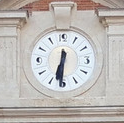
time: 6:31
